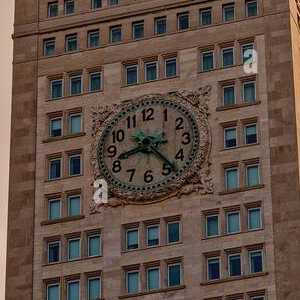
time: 8:23
